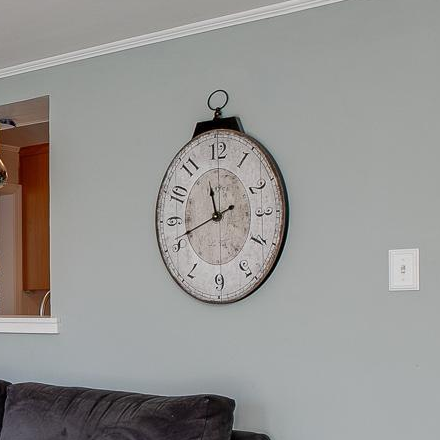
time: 11:41
